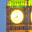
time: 8:01
